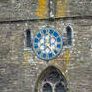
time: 12:23
